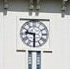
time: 9:30
